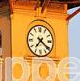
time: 7:21
